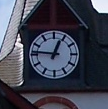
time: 12:46
